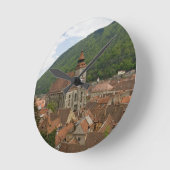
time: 10:07
